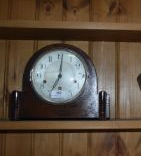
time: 7:01
